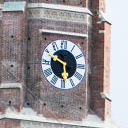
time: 5:49
